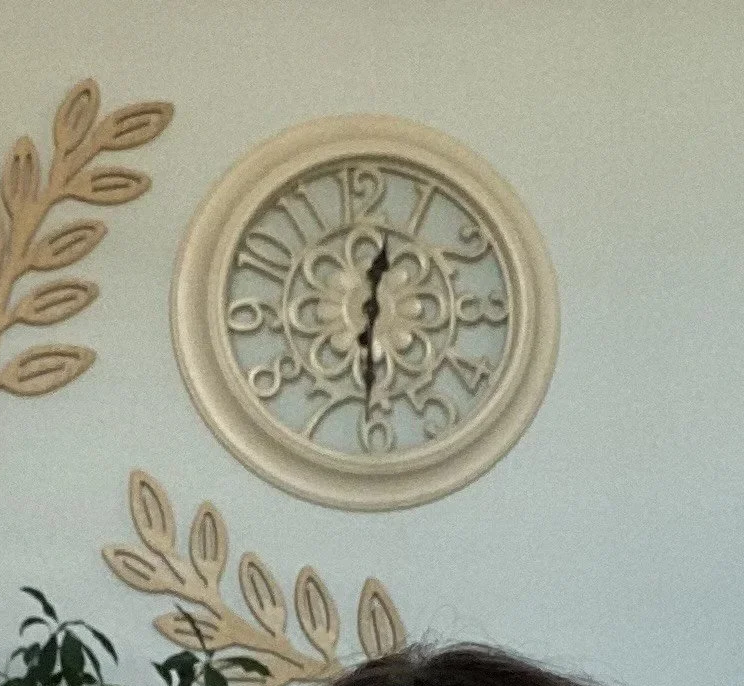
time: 12:30
